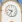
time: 9:34
